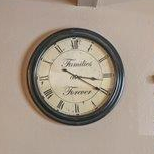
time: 3:20
